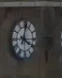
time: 4:01
